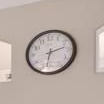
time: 2:32
